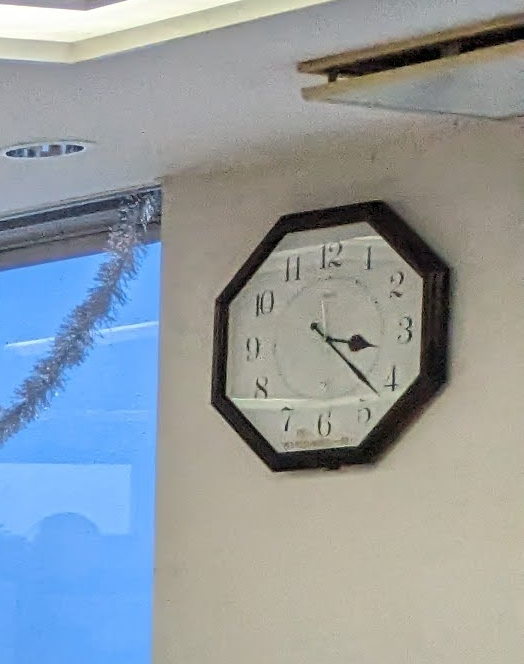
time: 3:22
